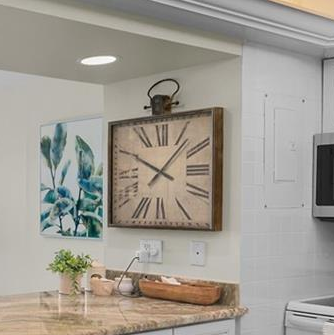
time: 10:06
